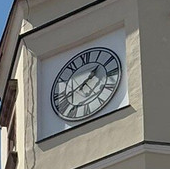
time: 1:42
